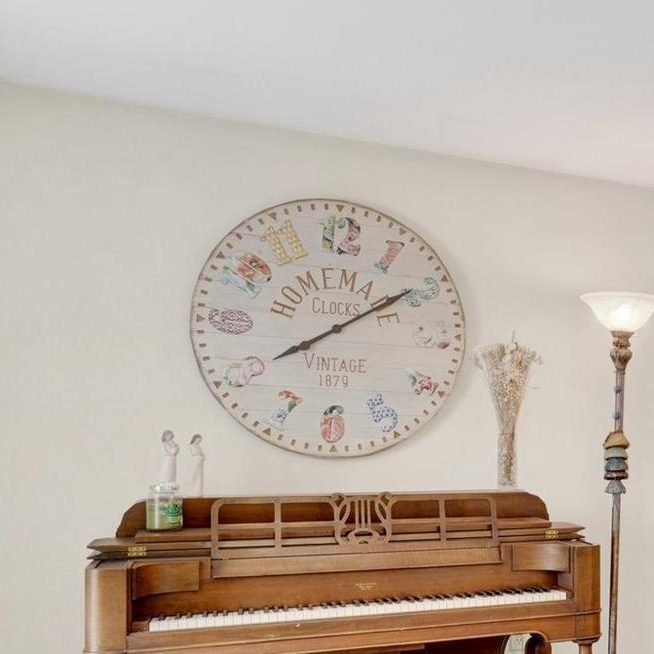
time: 8:09
